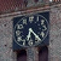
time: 6:23
